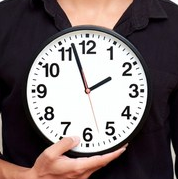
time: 1:57
